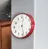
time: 12:28
